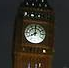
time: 7:59
